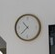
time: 10:37
